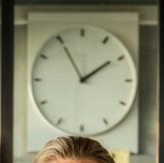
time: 1:55
